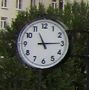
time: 11:14
